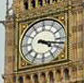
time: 4:17
